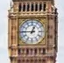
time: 12:45
